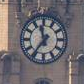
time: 11:36
